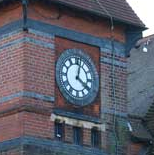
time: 4:02
